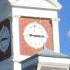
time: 9:15
